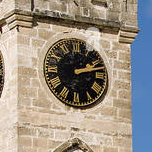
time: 2:12
